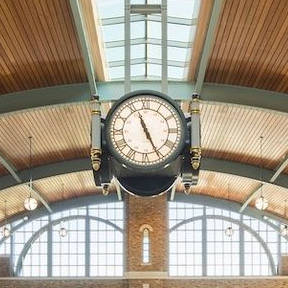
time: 11:25
